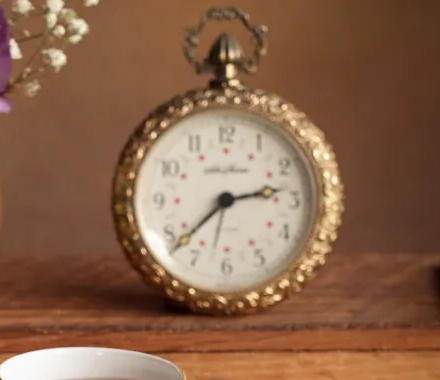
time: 2:38
